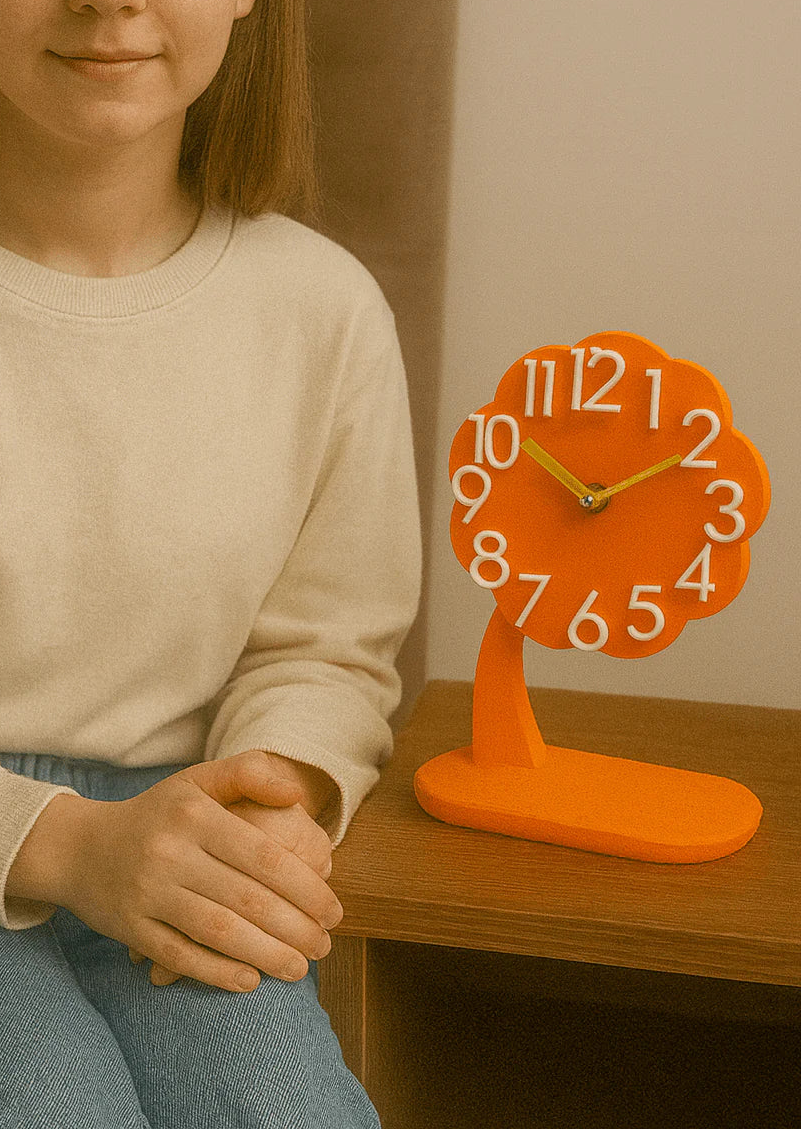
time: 10:10
